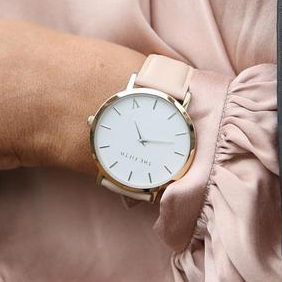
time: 11:17
